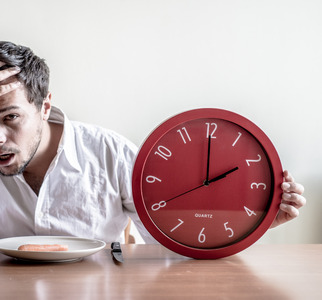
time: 1:59
